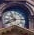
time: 10:41
